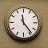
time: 11:23
